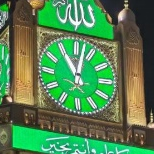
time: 11:02
